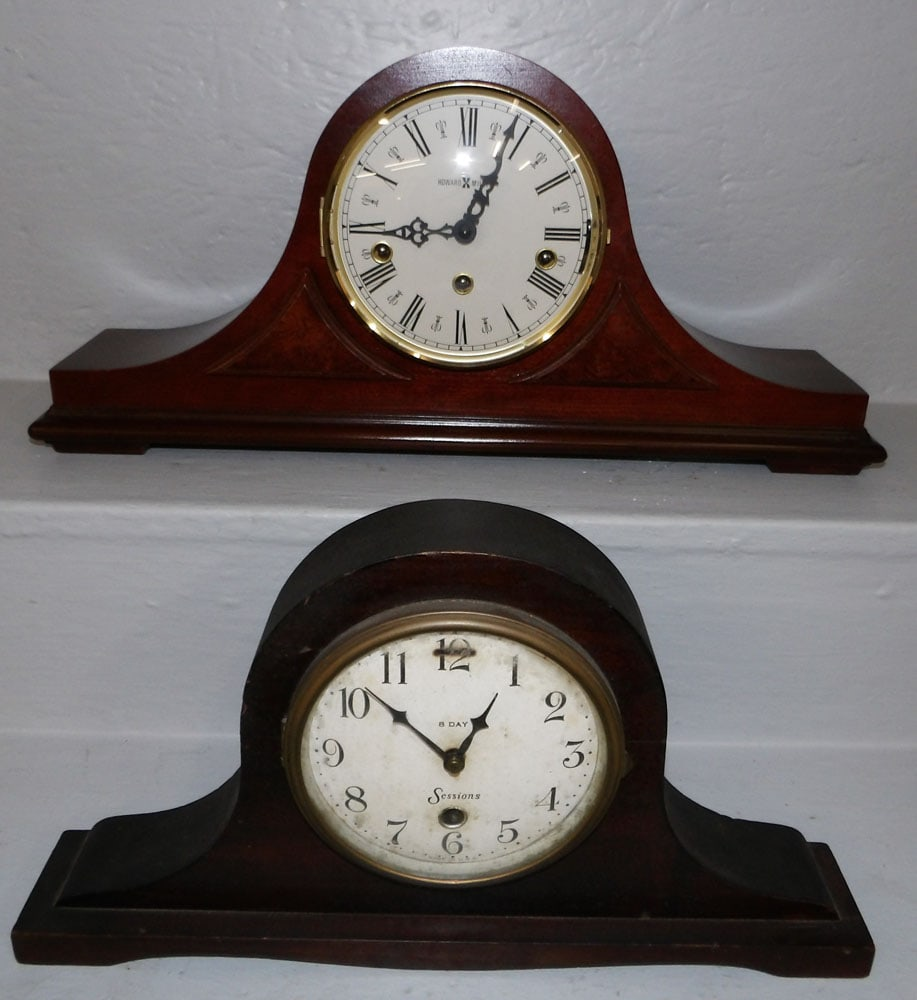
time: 12:52
